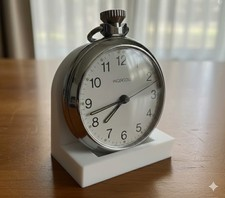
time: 7:42
